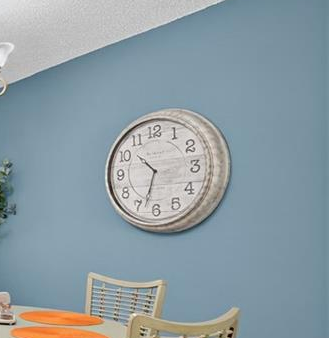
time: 10:33
